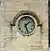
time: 1:27
